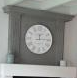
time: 12:14
